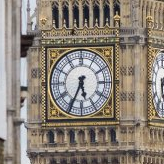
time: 5:34
